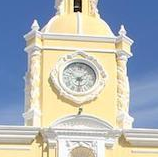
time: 6:08
